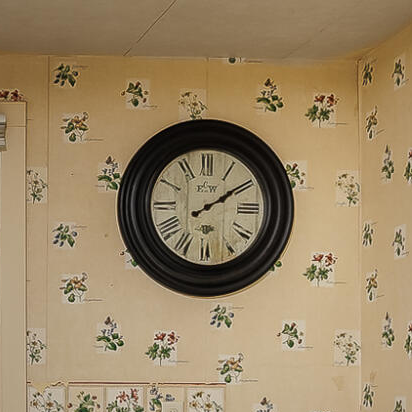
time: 2:09
